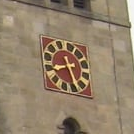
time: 8:26
